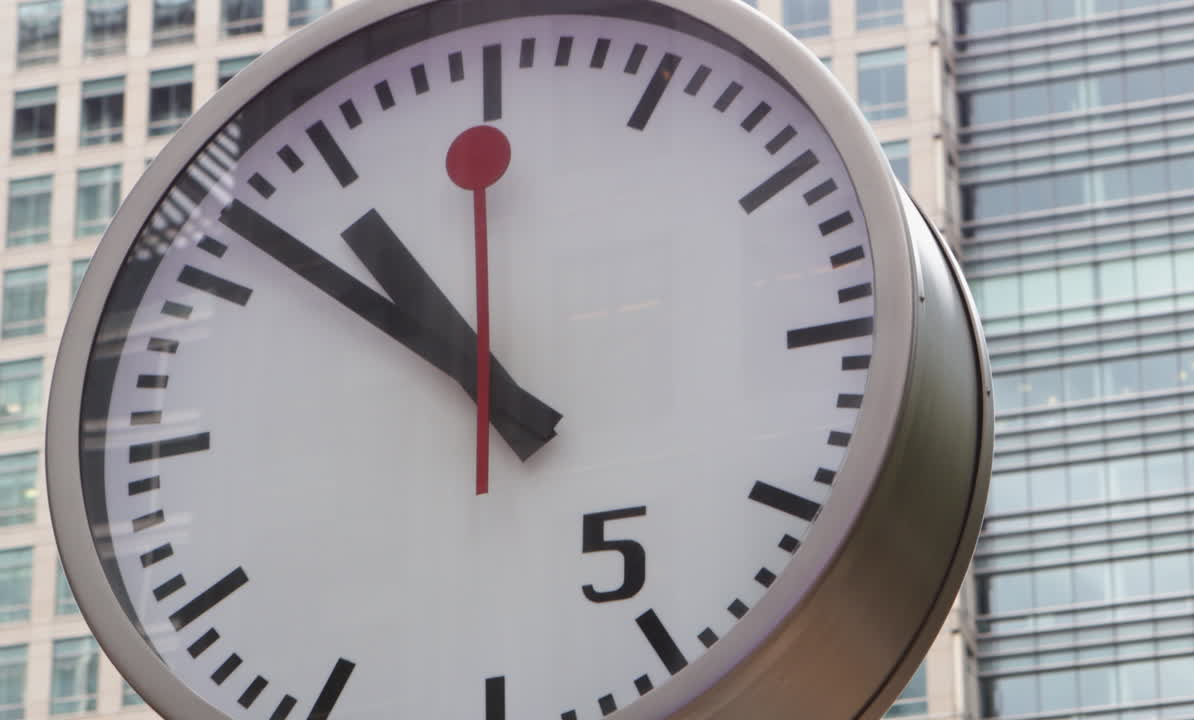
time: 10:51
